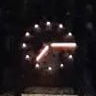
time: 7:15
